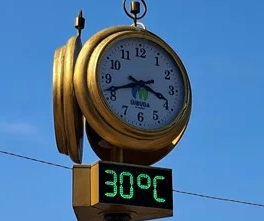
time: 3:41
